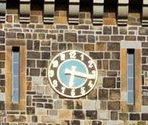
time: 6:17
